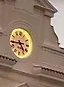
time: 4:43
